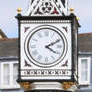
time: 4:10
